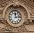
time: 12:13
